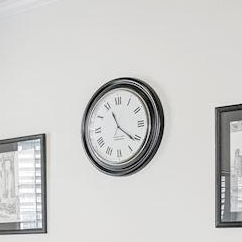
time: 11:21
